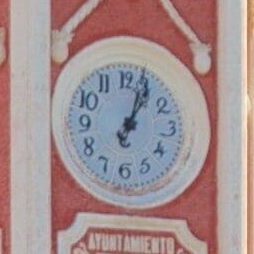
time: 1:03
